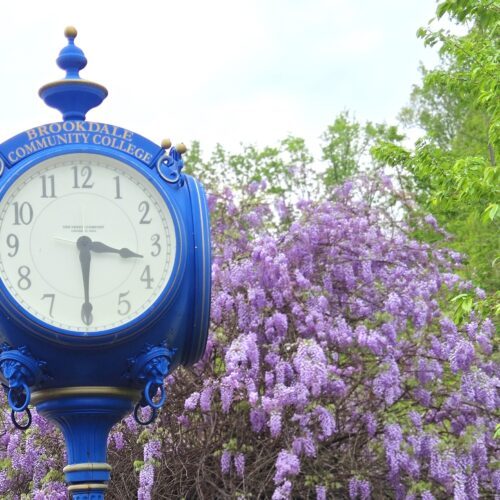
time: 3:29
